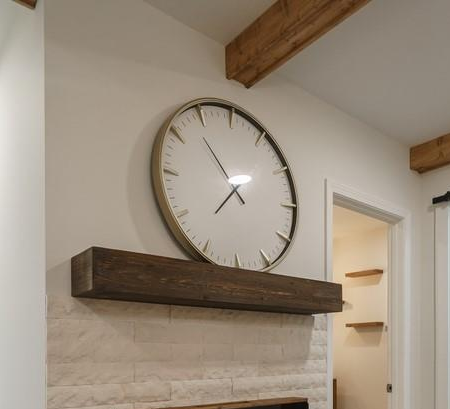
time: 10:36
